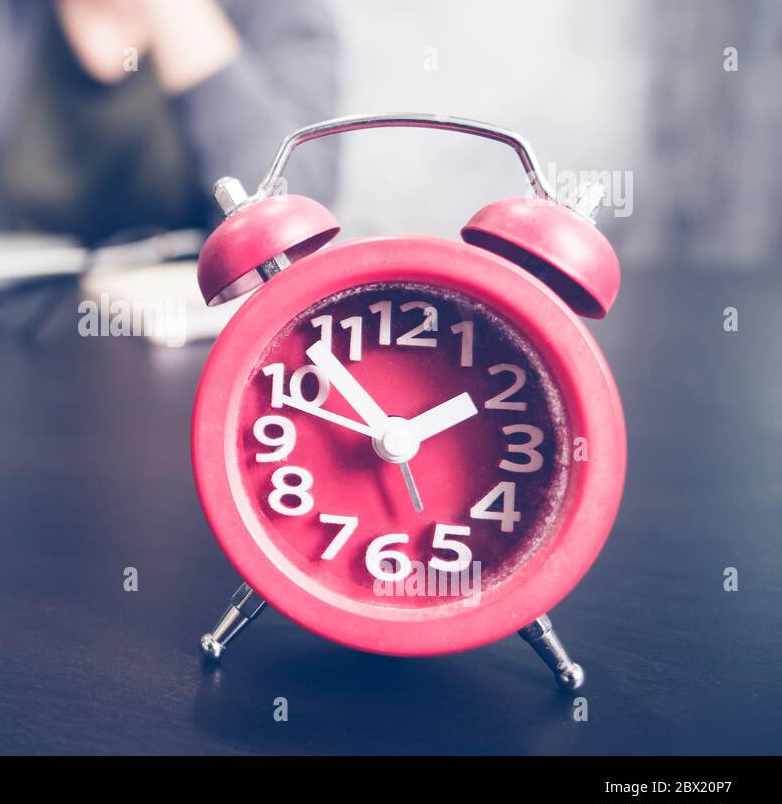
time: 1:53
